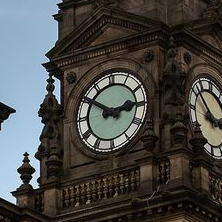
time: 2:50
